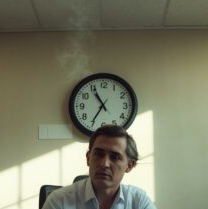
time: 10:35
